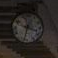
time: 3:32
